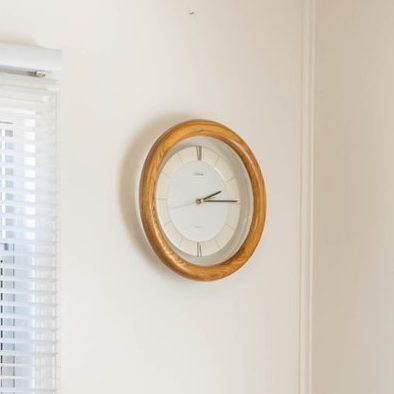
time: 2:14
